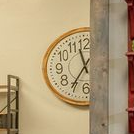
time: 11:35
